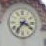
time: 3:36
